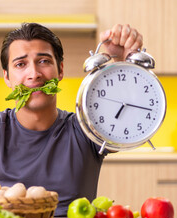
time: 7:17
